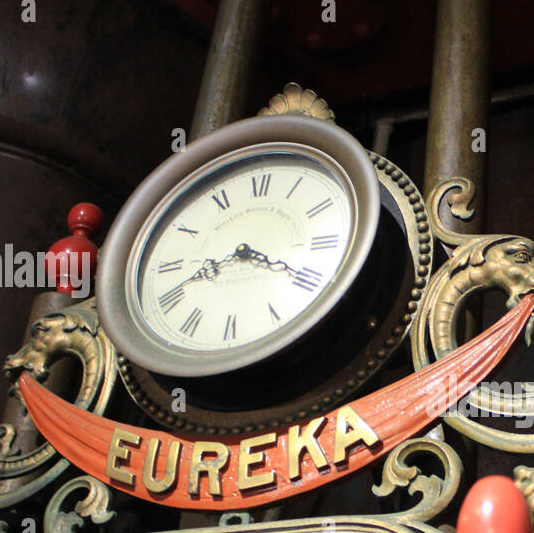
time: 8:19
